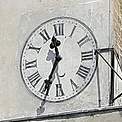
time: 11:34
